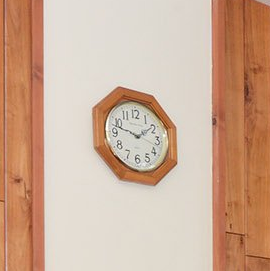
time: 1:47
